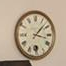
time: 3:07
